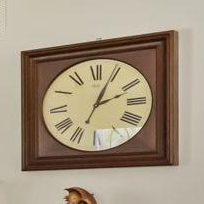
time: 2:04
